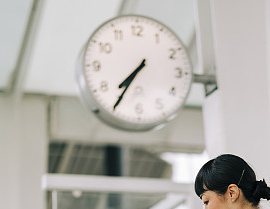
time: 7:35
